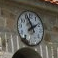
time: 1:56
